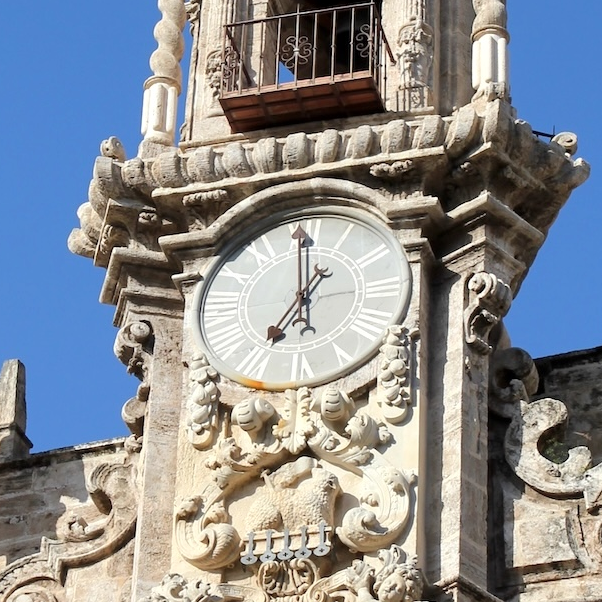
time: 6:59
